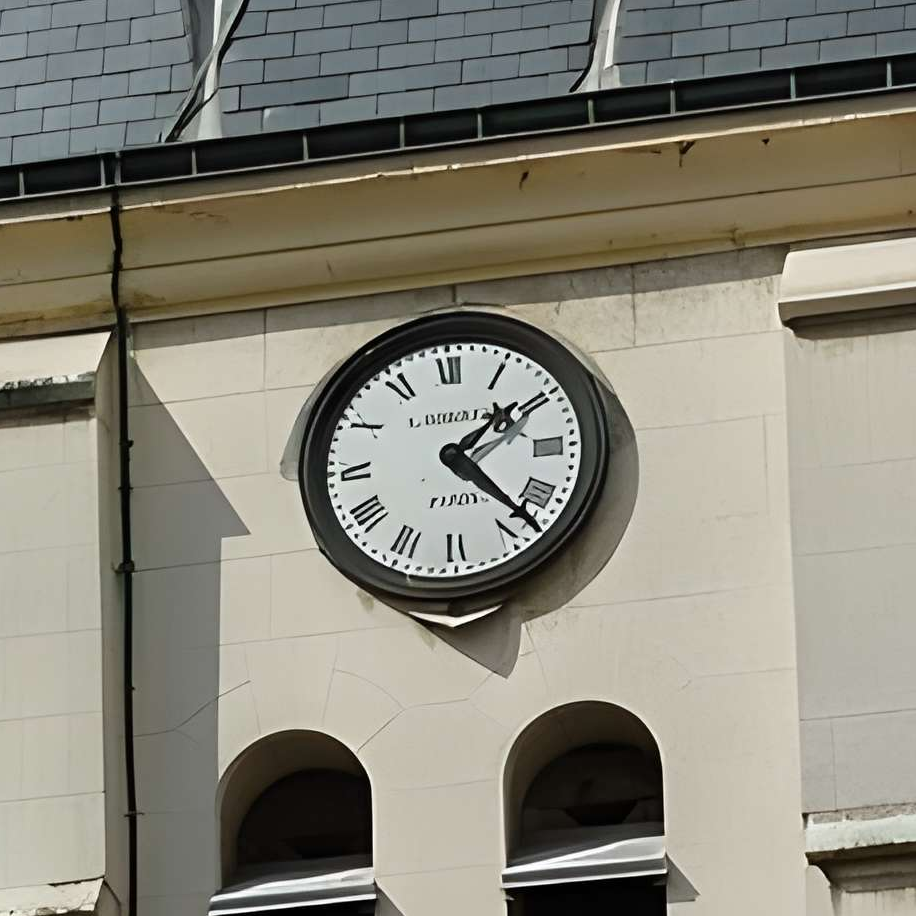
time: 1:22
